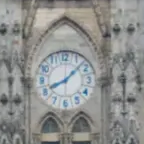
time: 8:07
